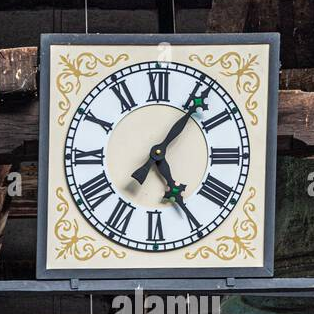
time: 5:06
